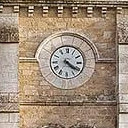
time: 4:20
